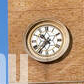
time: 10:36
